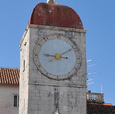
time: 9:10
